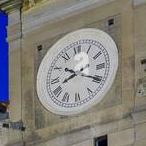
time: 8:19
